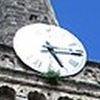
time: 5:15
